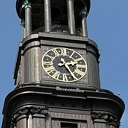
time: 2:24
